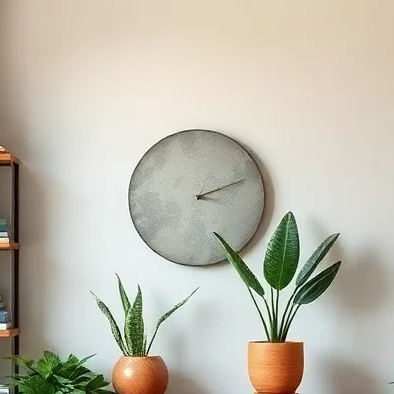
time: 2:11
